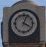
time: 4:03
